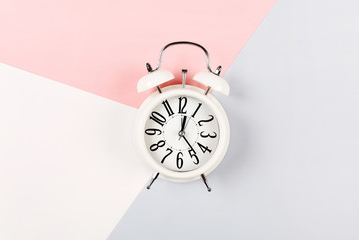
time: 12:23
